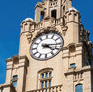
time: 4:16
